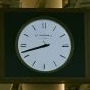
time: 8:42
